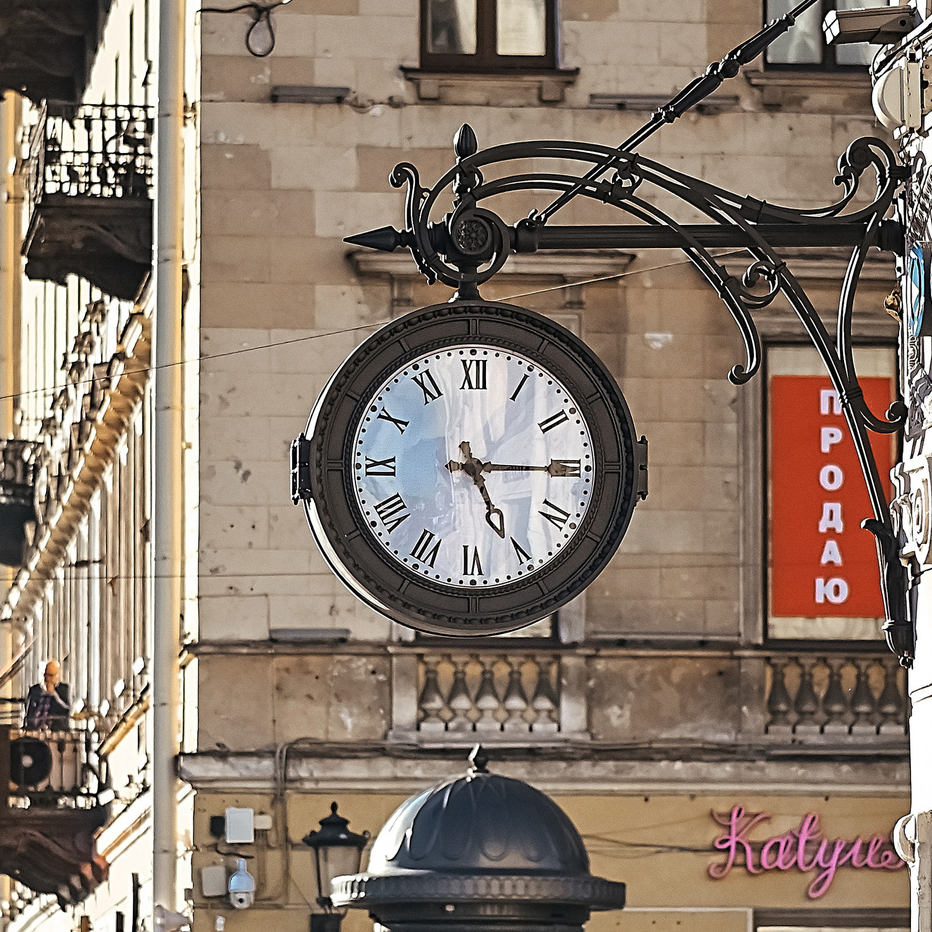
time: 5:14
